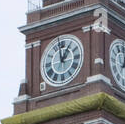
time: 12:58
